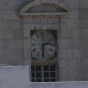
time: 2:29
